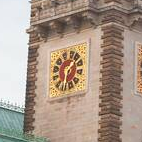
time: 1:32
